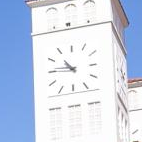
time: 10:45
